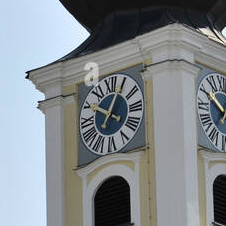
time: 10:04
